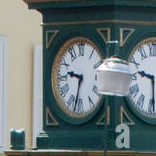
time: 9:32
